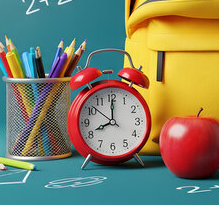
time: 8:00
